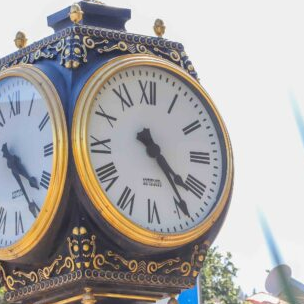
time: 4:24
